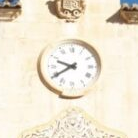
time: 9:39
